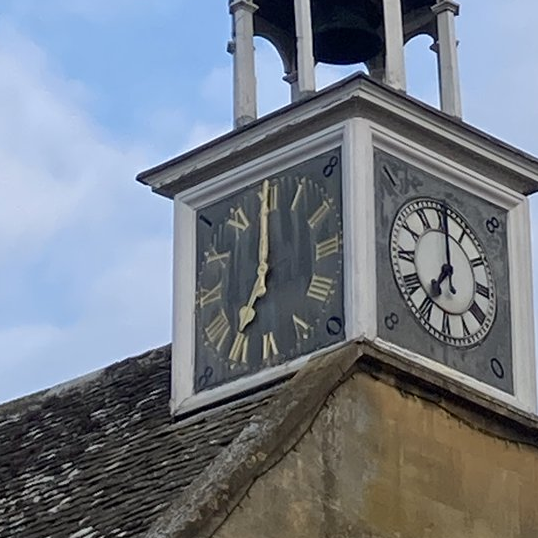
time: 7:00
